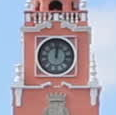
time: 12:01
